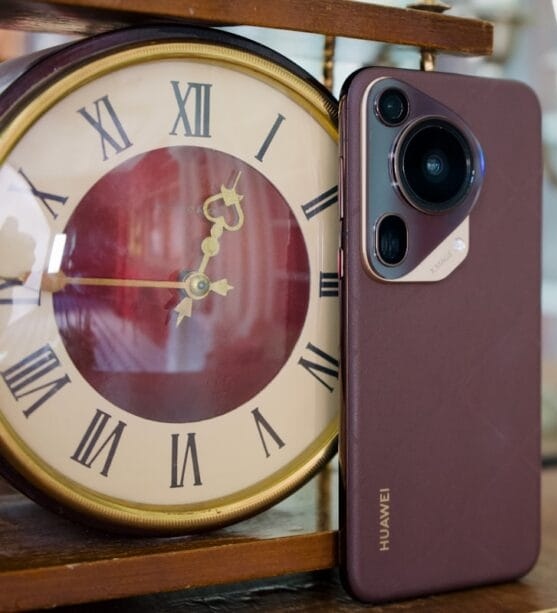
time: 12:45
